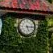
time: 5:14
